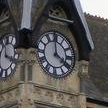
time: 3:59
